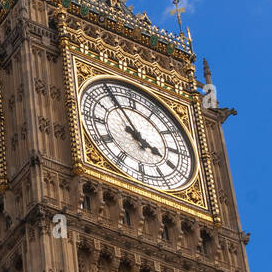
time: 3:54
